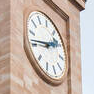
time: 2:46
